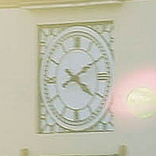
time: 4:10
